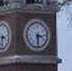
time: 3:29
